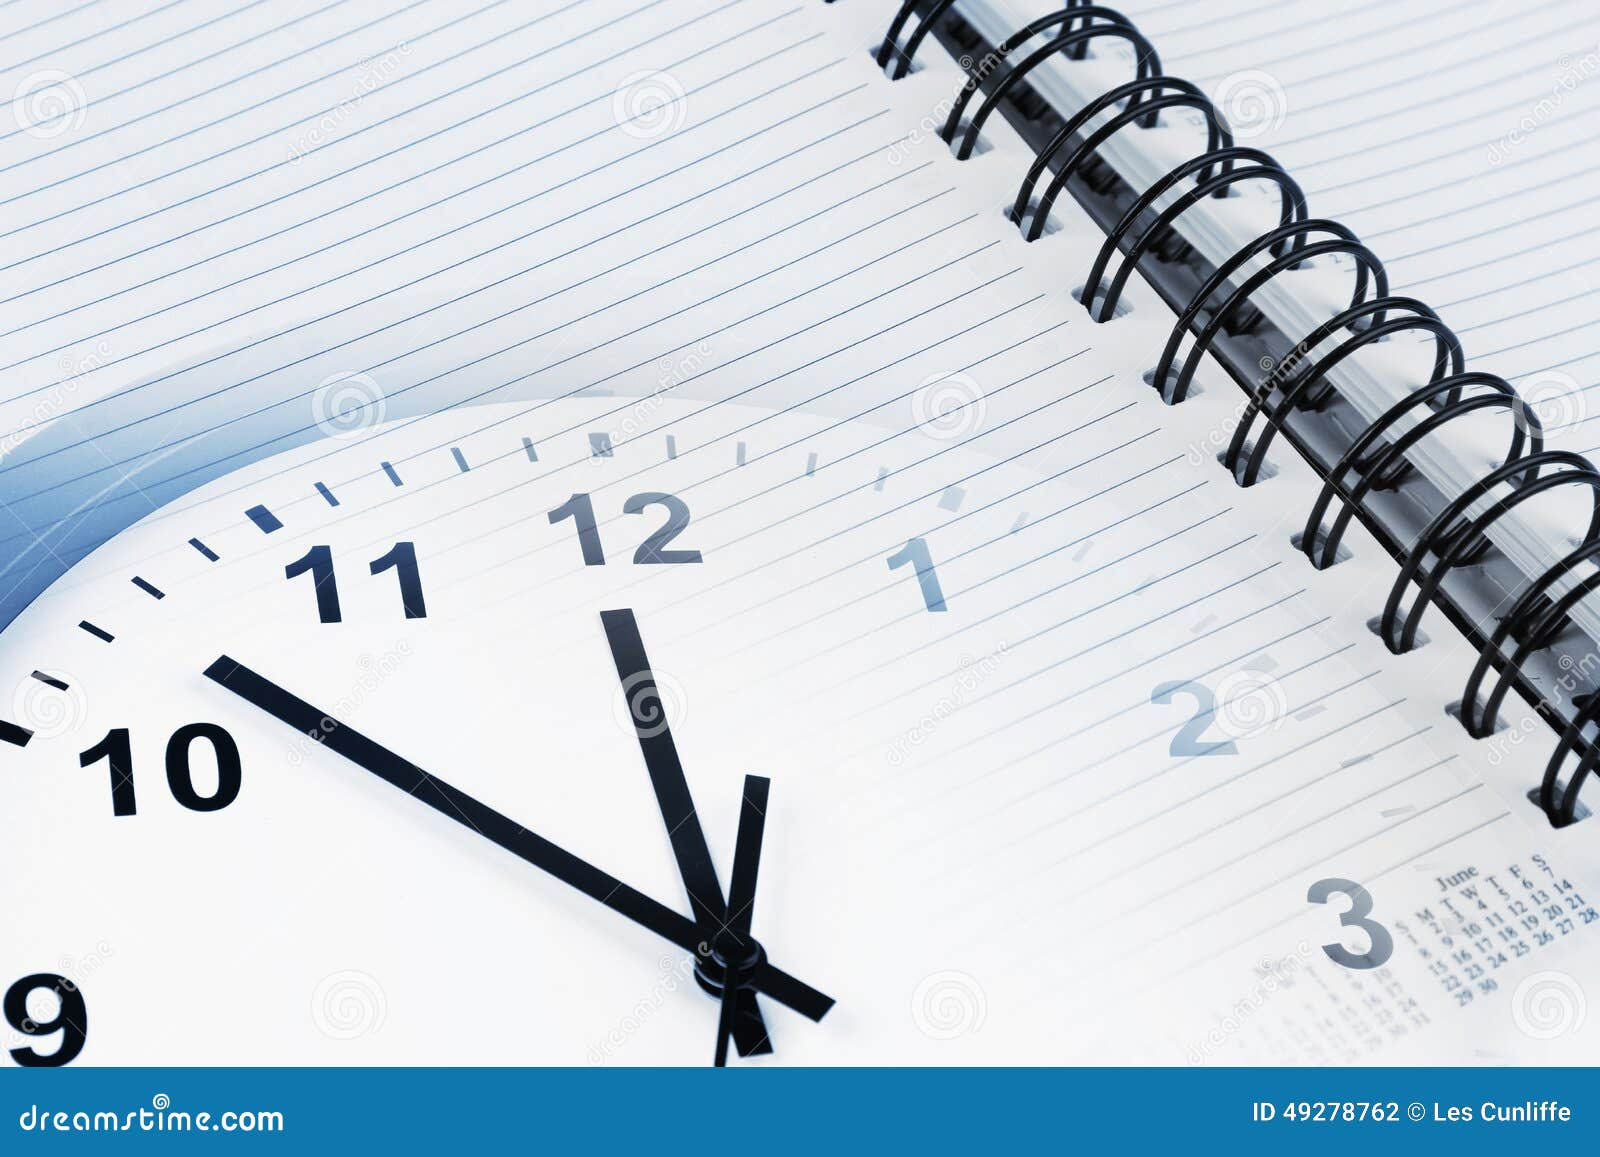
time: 11:52
